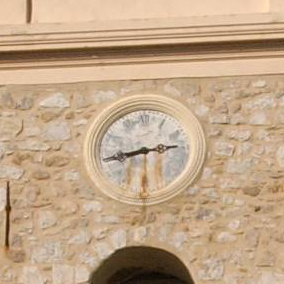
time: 2:43
